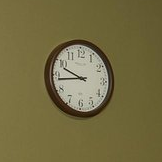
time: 9:43
